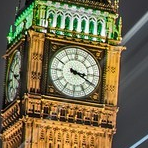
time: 3:19
